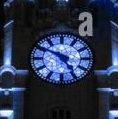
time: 4:50
